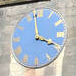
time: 3:58
